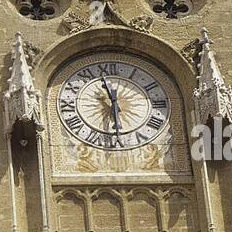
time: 5:57
